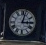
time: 3:02
